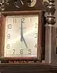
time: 4:59
